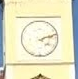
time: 4:12
